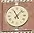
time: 11:07
